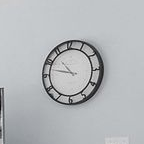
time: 10:47
